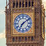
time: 7:08
